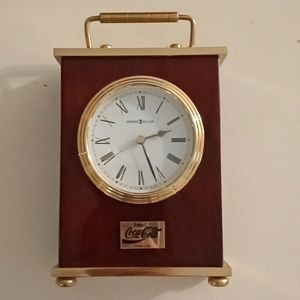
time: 2:26
